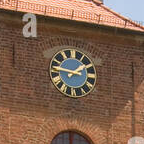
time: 1:46
